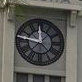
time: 11:46
